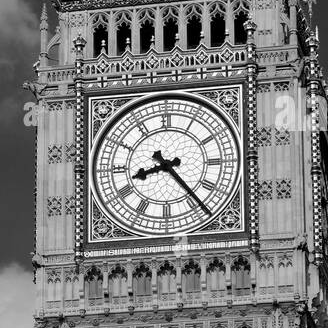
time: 8:23
